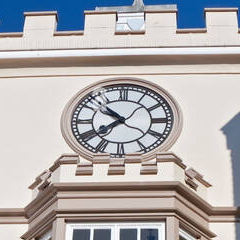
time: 10:38
